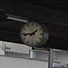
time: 1:43
